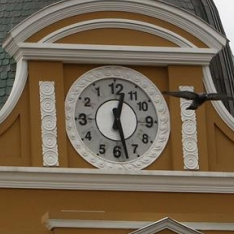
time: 12:27
